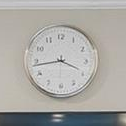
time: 3:43
